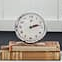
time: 2:12
